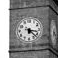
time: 3:22
